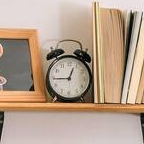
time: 12:44
